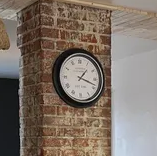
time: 1:18
